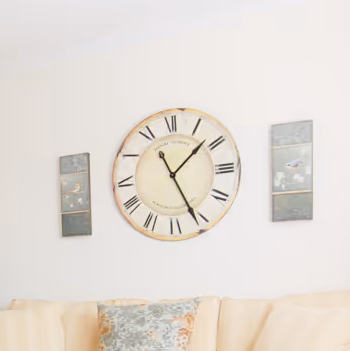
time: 1:26
